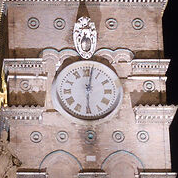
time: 6:01
